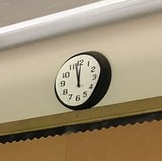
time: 11:57
